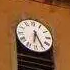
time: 6:25
